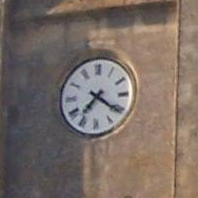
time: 7:20
